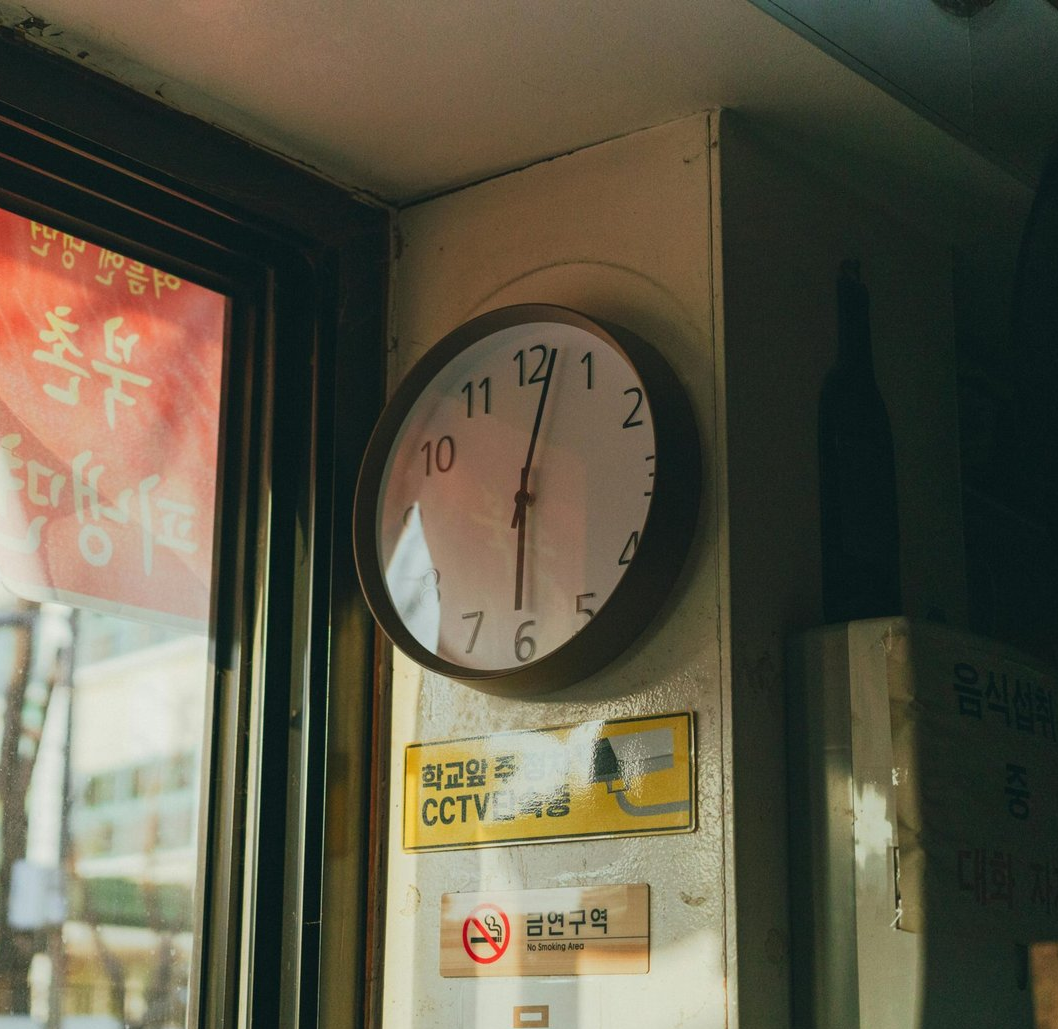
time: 6:02
